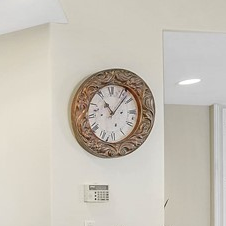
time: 11:07
